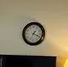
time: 1:18
